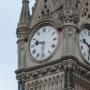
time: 9:31
